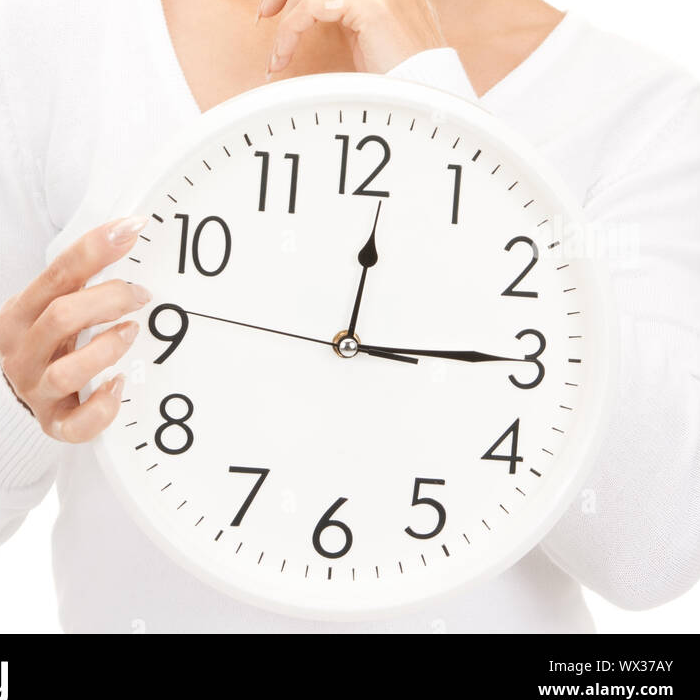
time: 12:15
